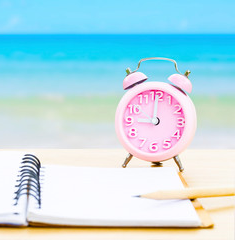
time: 9:00
